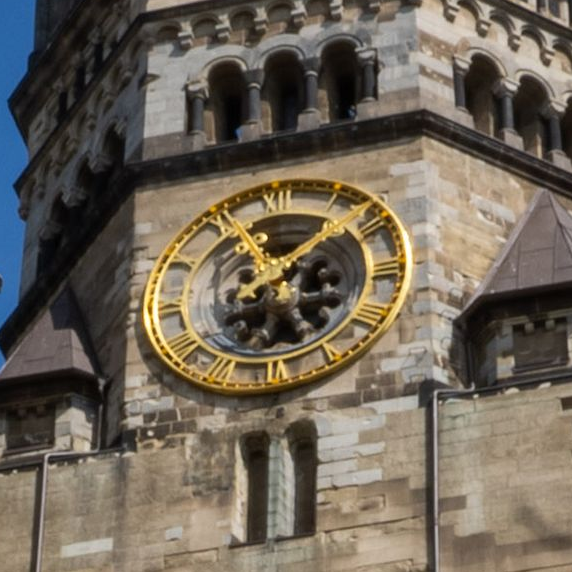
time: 11:07
